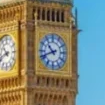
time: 10:41
